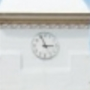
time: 2:56
